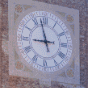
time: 8:57
